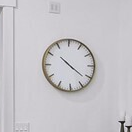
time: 10:21
